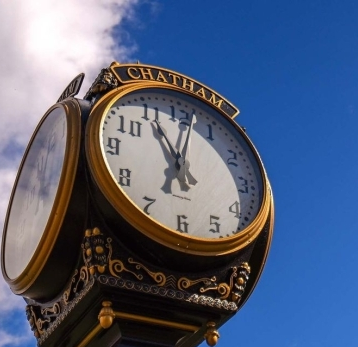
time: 11:02
